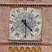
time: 4:29
